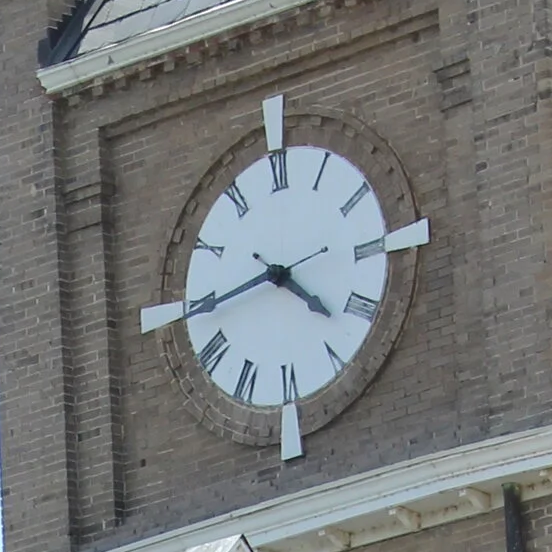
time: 4:44
